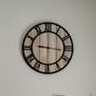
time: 9:16
